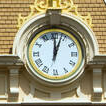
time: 12:03
